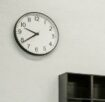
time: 9:38
